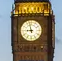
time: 8:57
